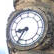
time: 8:35
